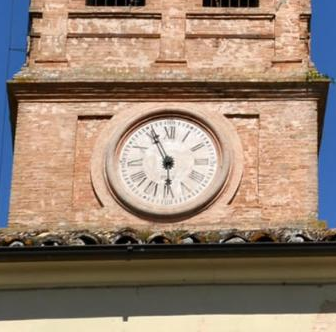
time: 5:55
